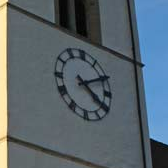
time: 4:10
